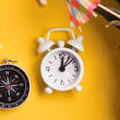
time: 12:07
